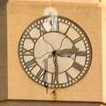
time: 2:29
